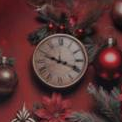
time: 3:48
